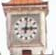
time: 3:01
